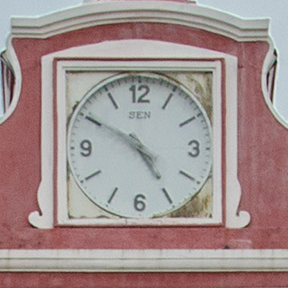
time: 4:49
